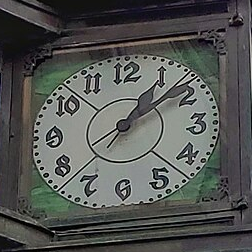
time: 1:08
